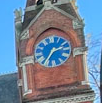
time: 2:35
